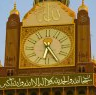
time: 6:25
